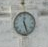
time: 12:26
